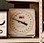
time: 3:48
